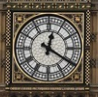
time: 12:20
